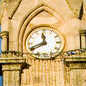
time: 11:41
